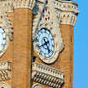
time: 4:40
